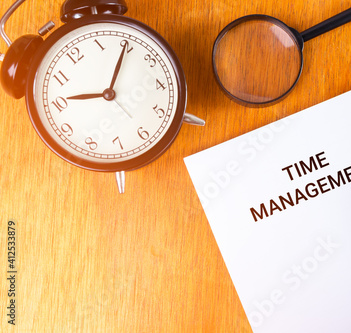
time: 9:04
